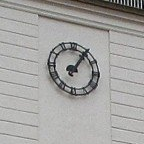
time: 1:05
